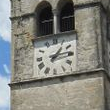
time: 1:13
